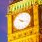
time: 4:17
